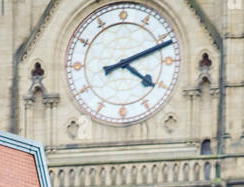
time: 4:11
